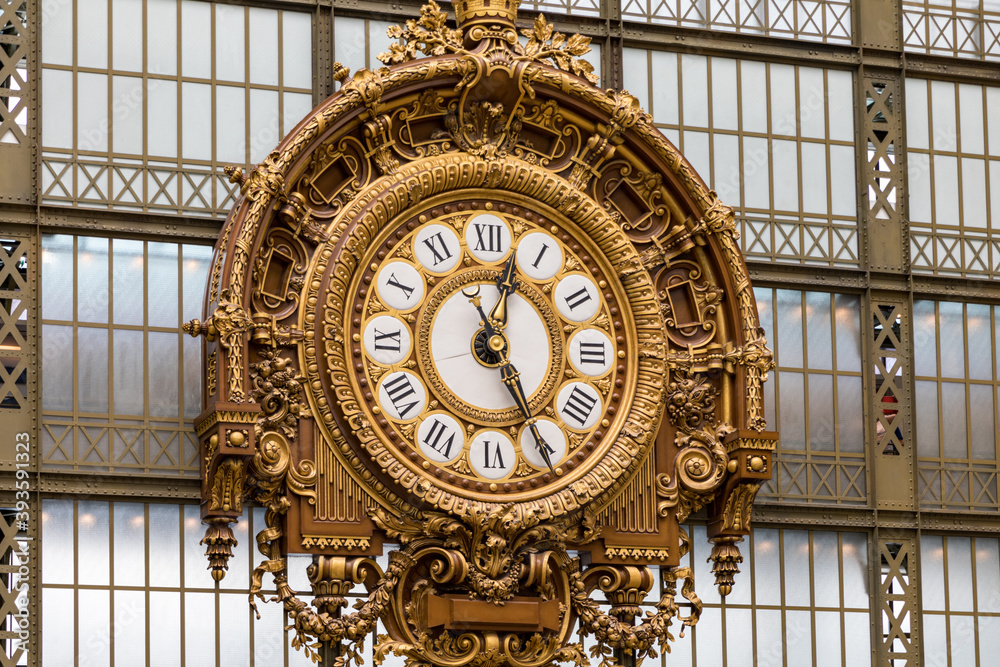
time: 12:24
